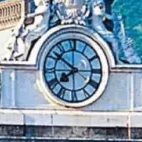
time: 7:51
